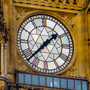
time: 1:37
